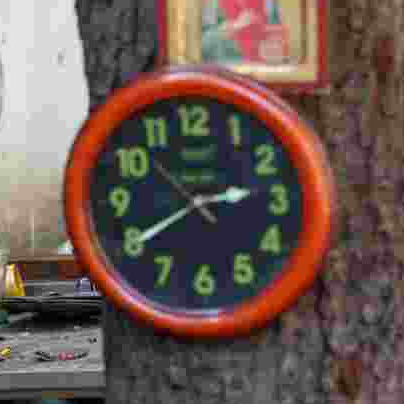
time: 2:40
